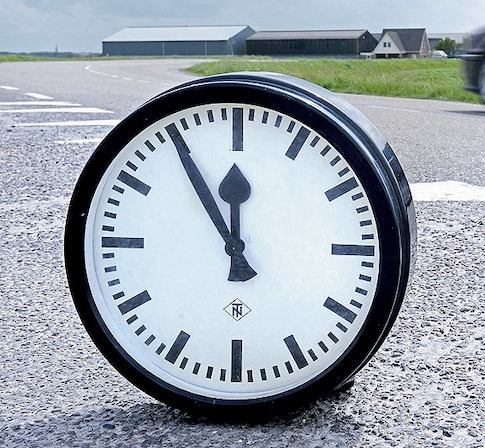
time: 11:54
